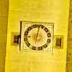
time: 9:01
